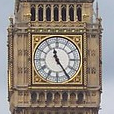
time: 11:24
